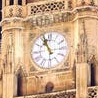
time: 10:56
